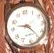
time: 9:23
